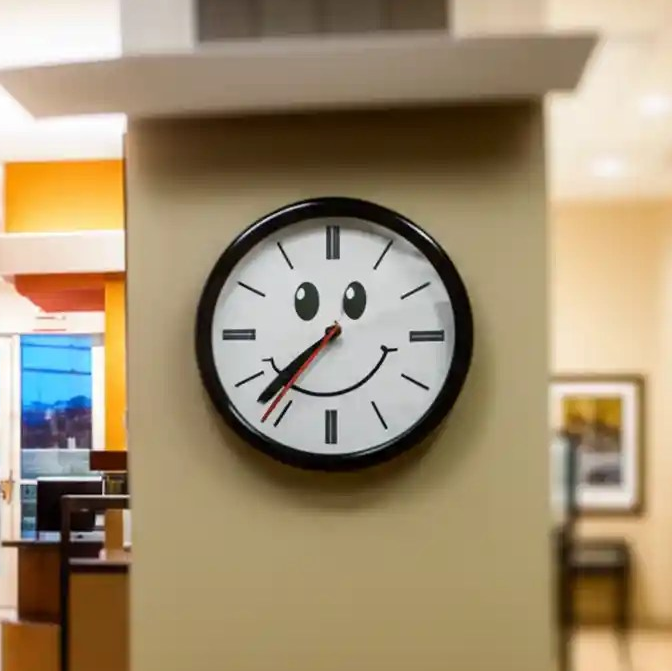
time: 7:37
